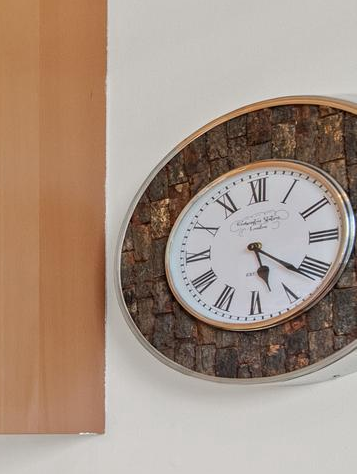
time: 5:21
